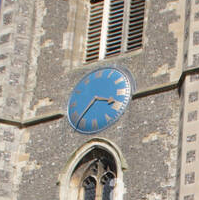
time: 3:37
